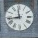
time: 11:43
